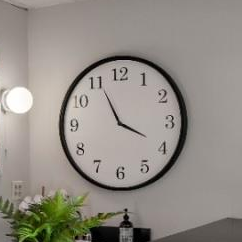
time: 3:55
